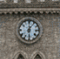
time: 12:28
